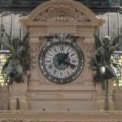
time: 1:18
